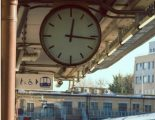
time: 12:16
